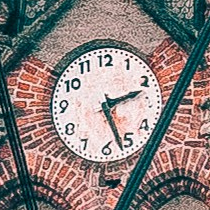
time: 2:26
